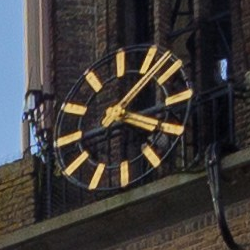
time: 1:18
